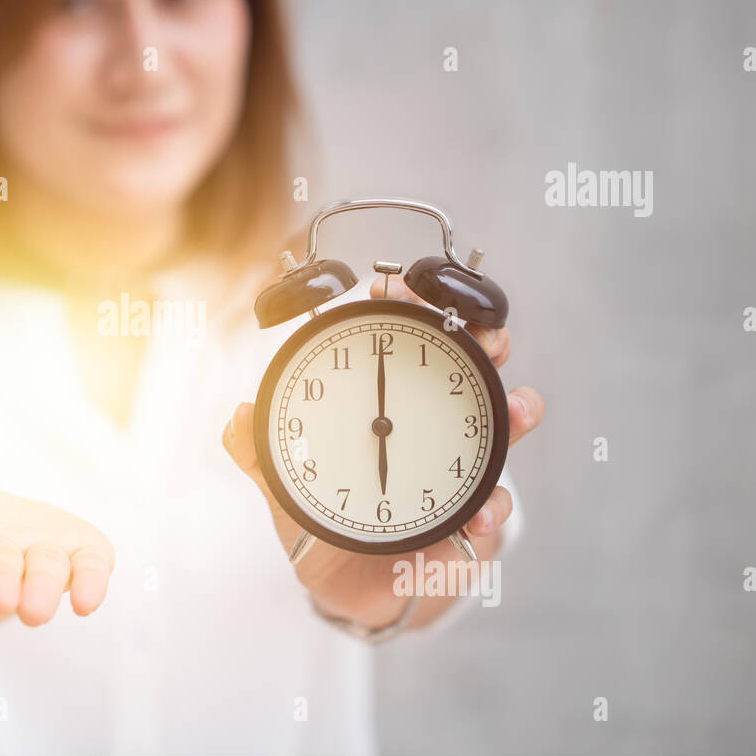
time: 6:00
